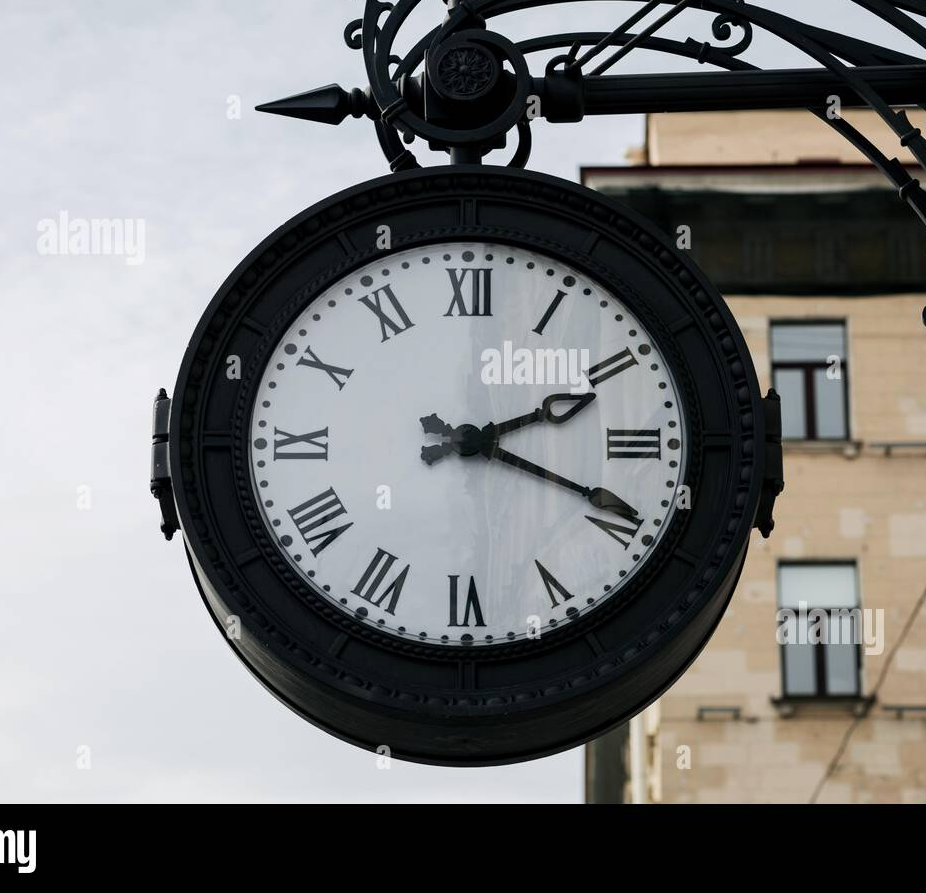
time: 2:18
